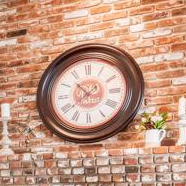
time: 10:38
